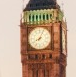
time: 8:04
